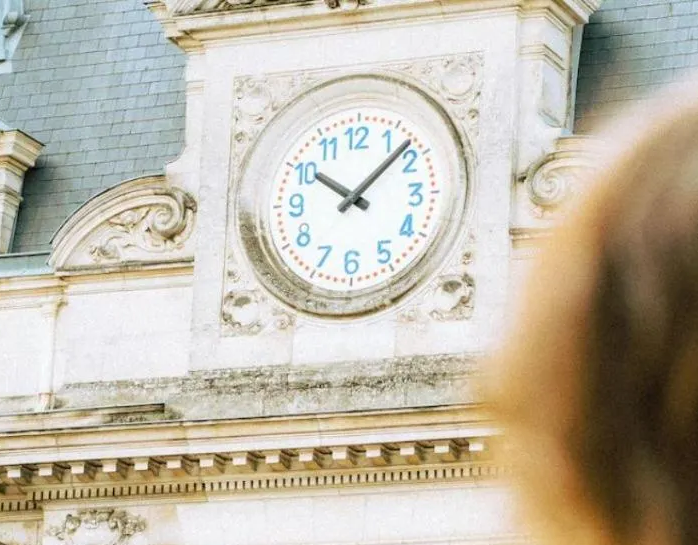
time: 10:07
